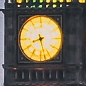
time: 8:27
